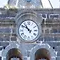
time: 10:51
